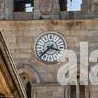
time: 3:37
